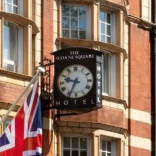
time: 9:34
